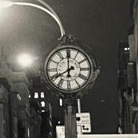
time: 7:59
